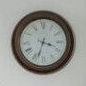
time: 3:33
